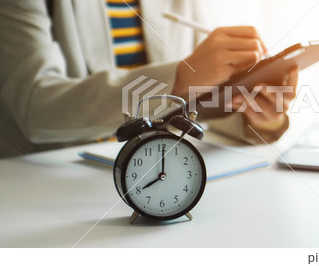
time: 8:00
